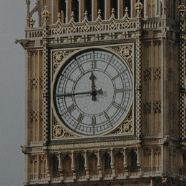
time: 11:44
